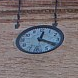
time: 12:19
